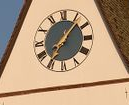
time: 7:07
